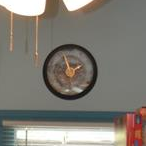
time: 1:56
